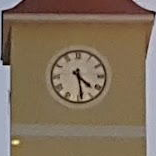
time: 4:28
